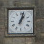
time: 1:02
